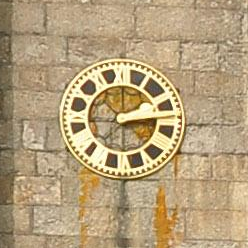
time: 2:12
